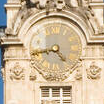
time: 4:42
